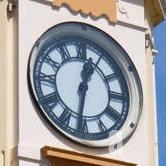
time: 12:31
